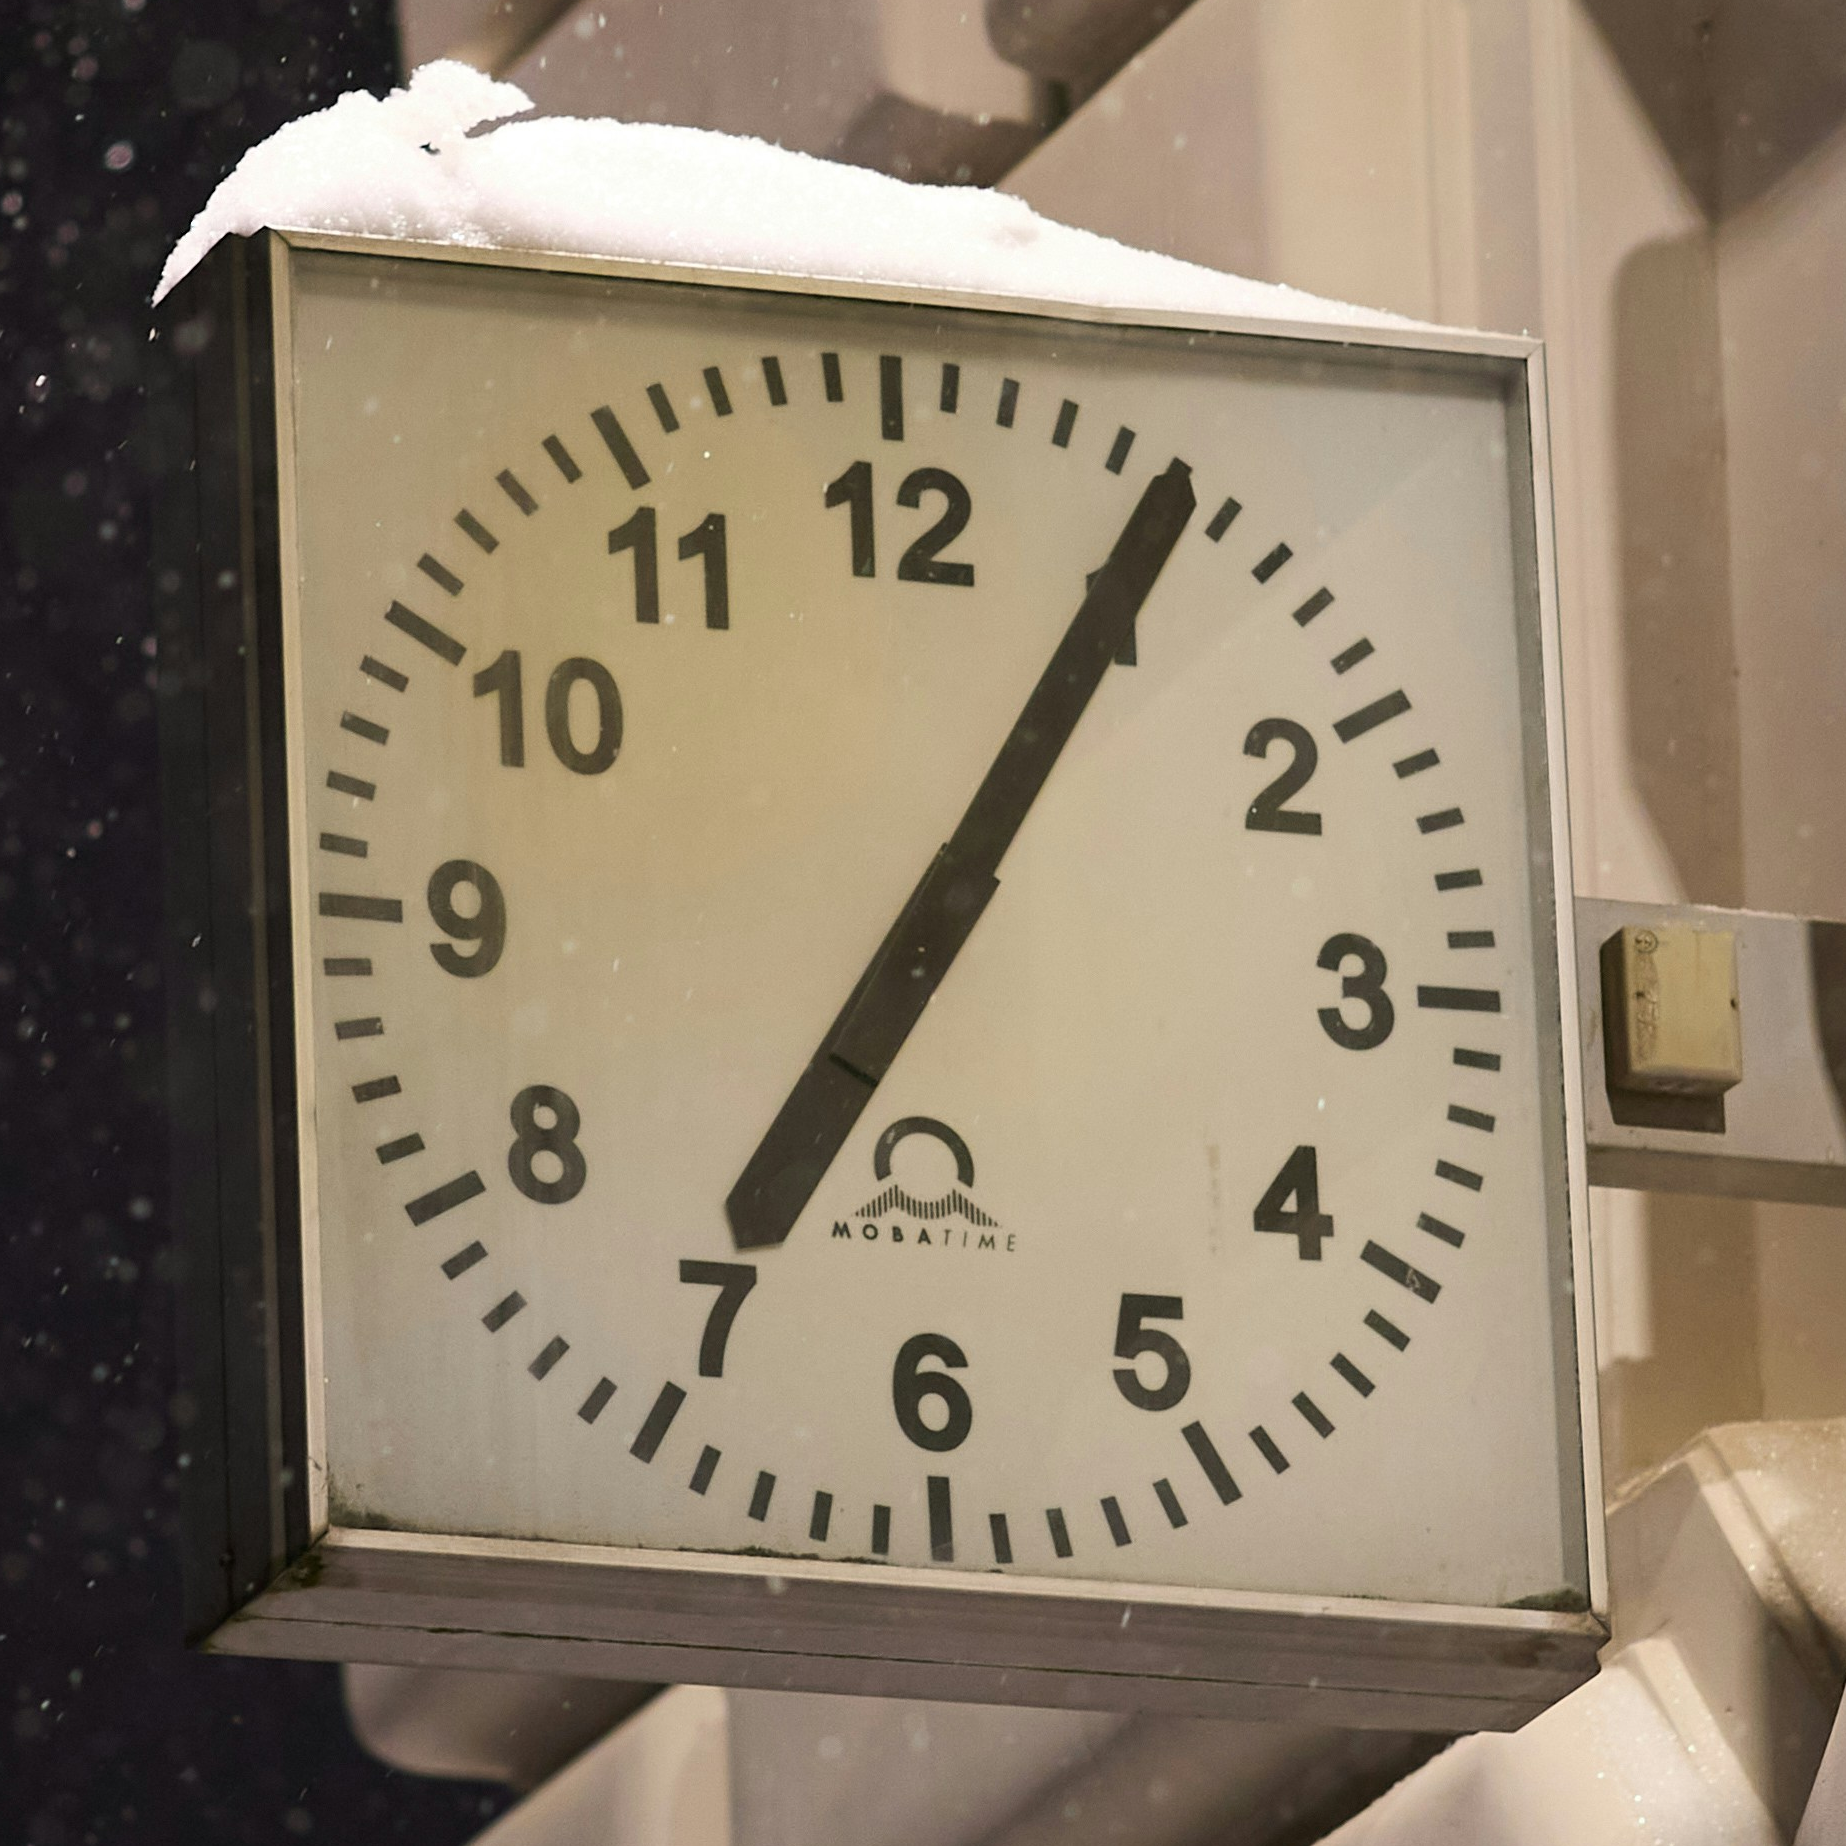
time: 7:05
